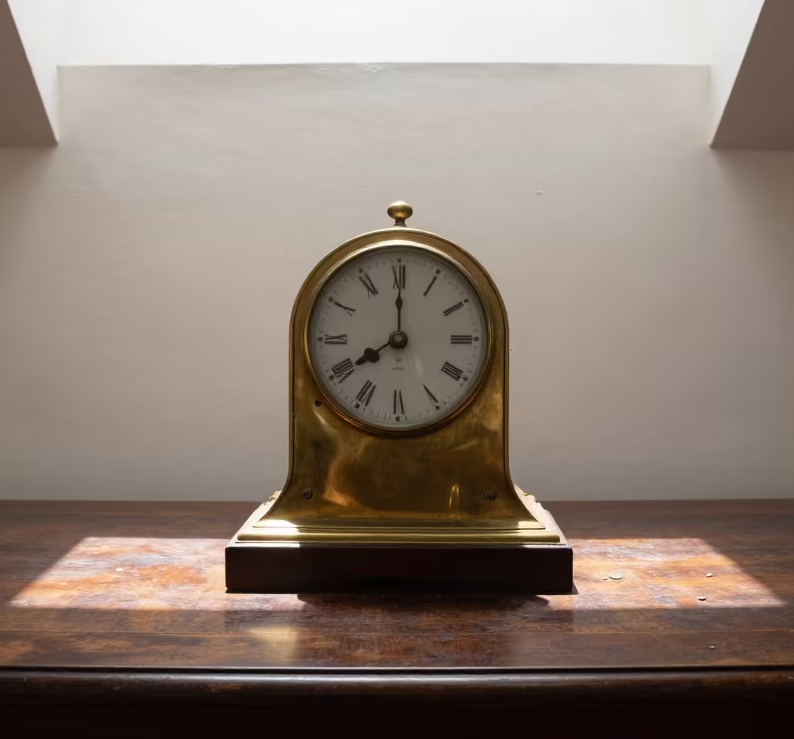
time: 8:00
